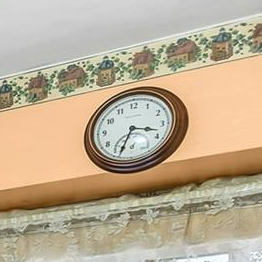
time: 3:33
